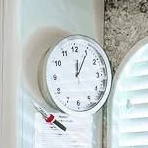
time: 12:05
